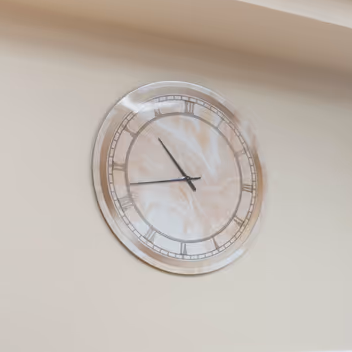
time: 10:42
